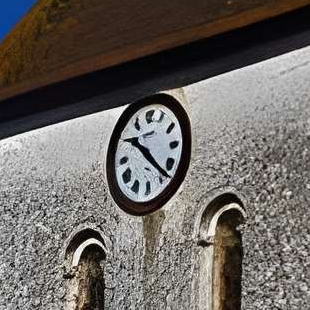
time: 10:22
